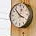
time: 3:52
